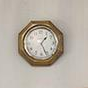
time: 1:26
